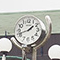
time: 1:42
